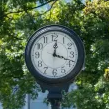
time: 12:18
